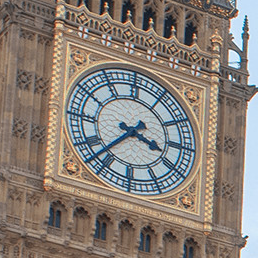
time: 3:37
